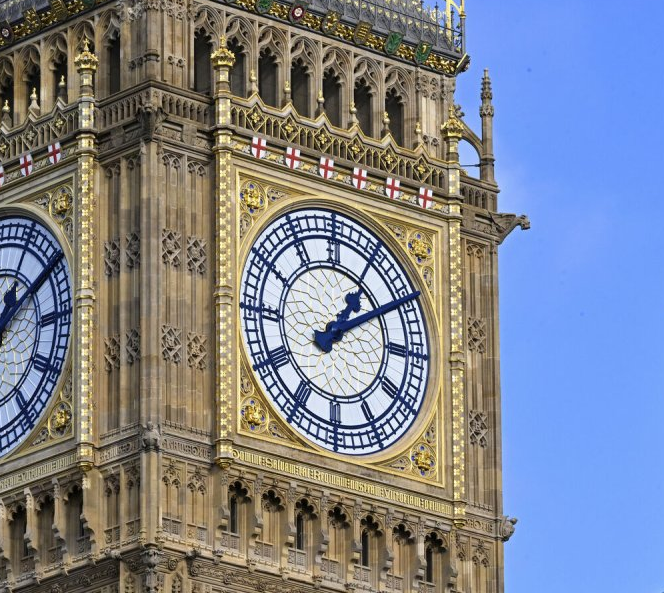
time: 1:09
